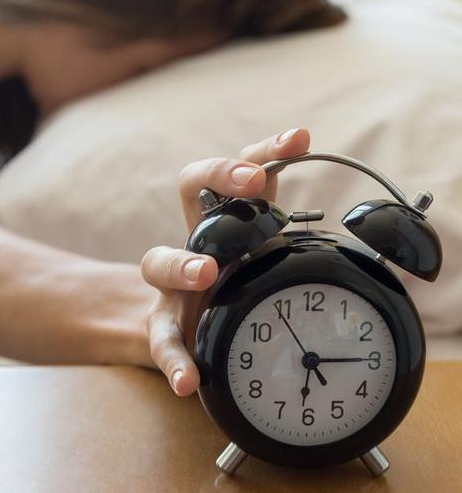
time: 5:15
